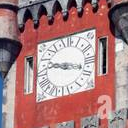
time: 9:17
